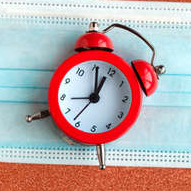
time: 1:00
